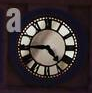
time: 4:44
